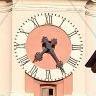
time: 7:24
